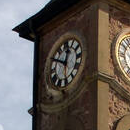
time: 12:49
